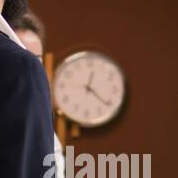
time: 12:21
